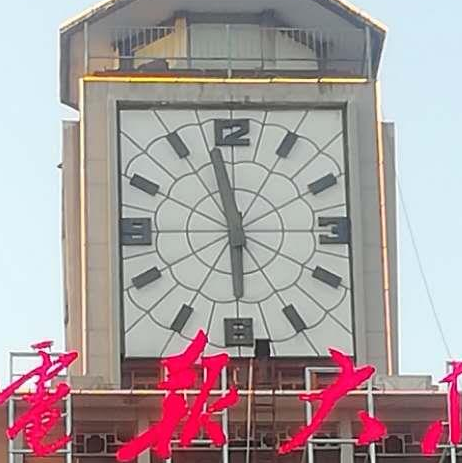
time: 5:58
